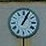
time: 1:04
